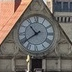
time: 10:39
